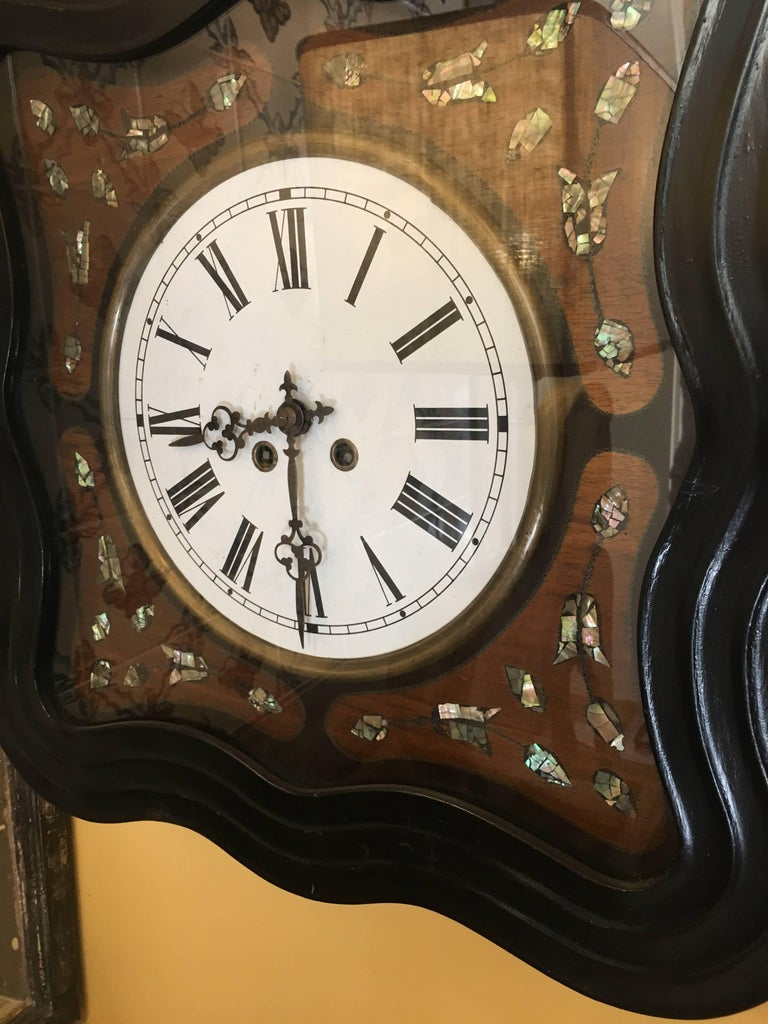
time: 8:30
